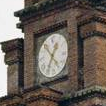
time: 12:34
